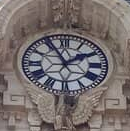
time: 1:56
